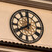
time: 7:59
